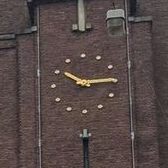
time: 10:14
